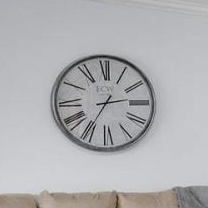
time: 2:35
